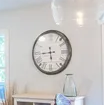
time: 5:44
